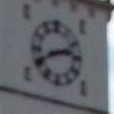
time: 2:40
